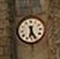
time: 6:26
